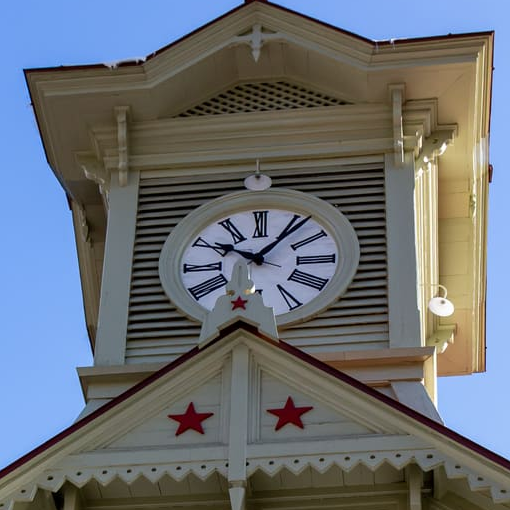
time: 10:06
